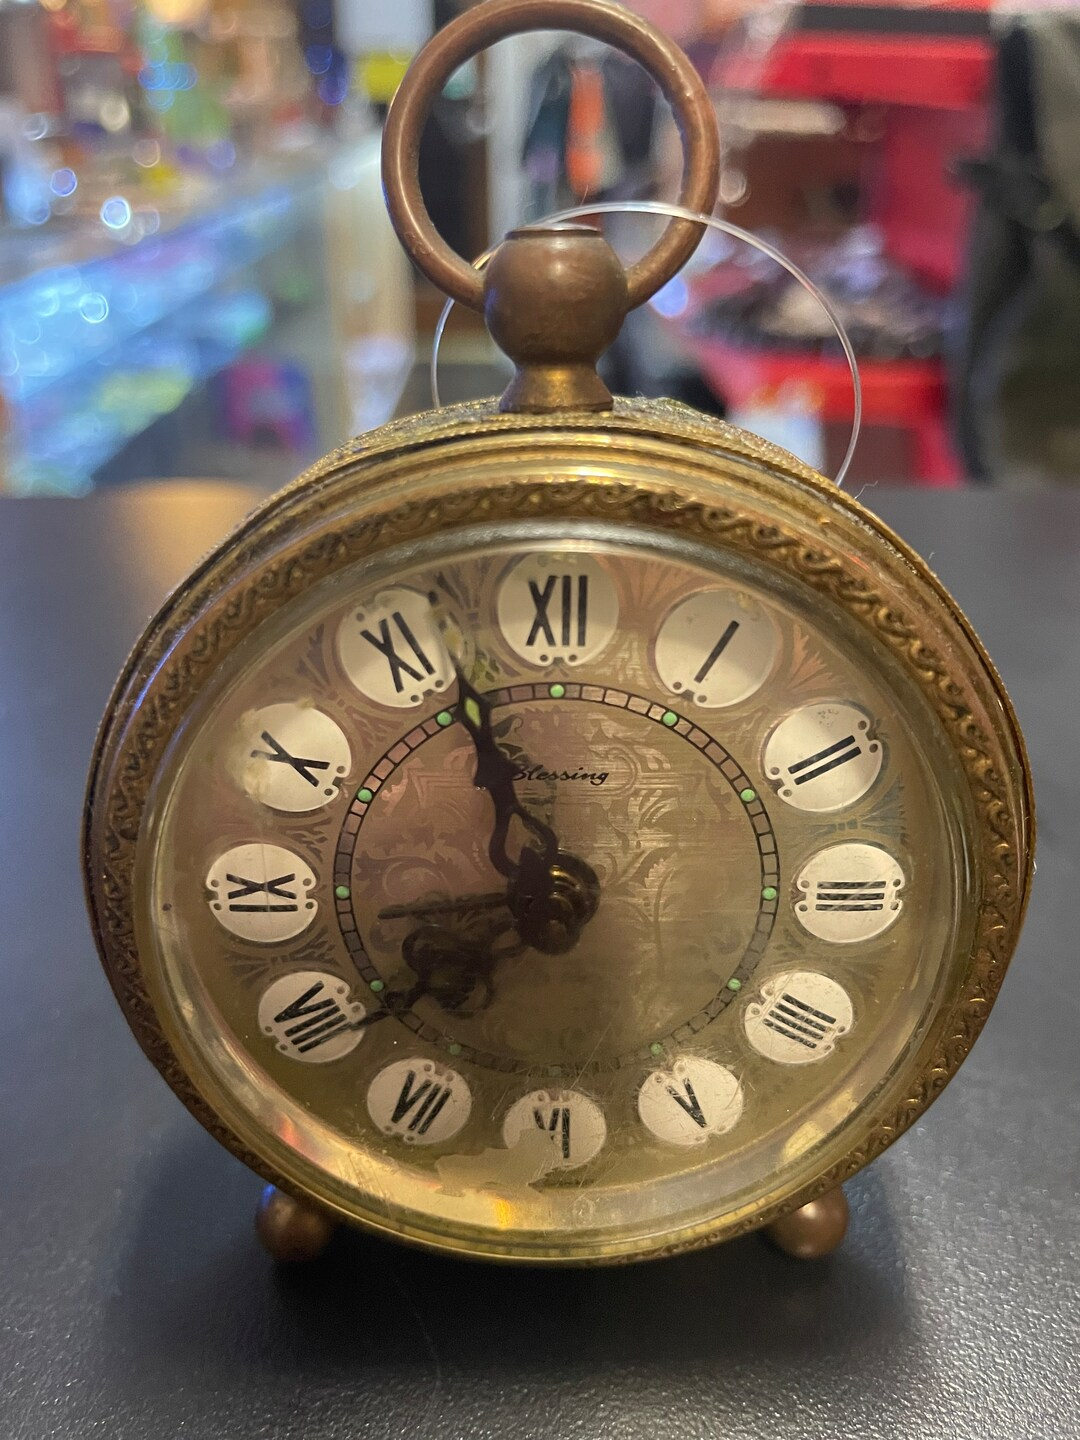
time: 7:56
